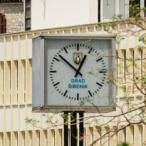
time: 12:52
